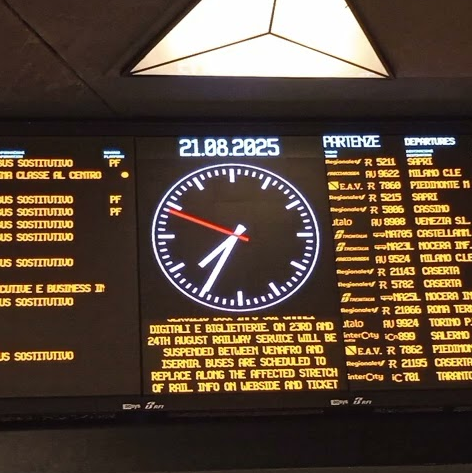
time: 7:34
